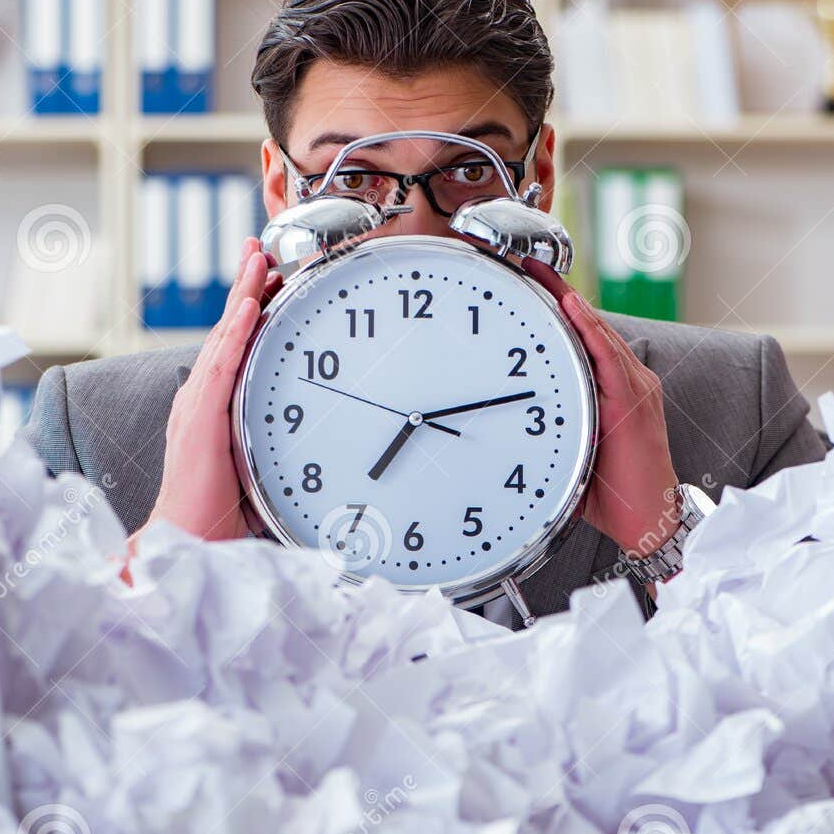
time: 7:12
